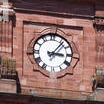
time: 3:06
